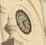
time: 5:08
